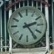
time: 2:24
